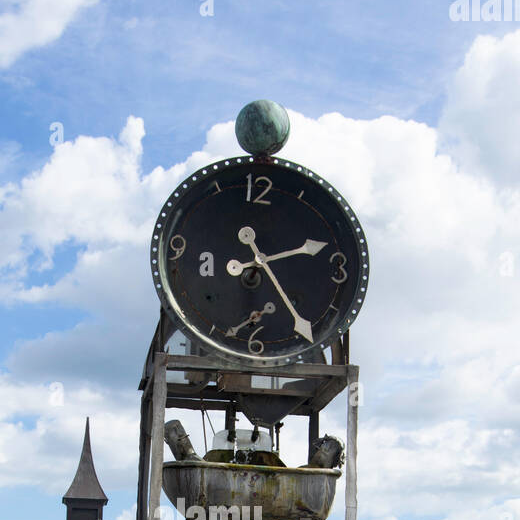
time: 2:24
